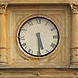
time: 5:29
